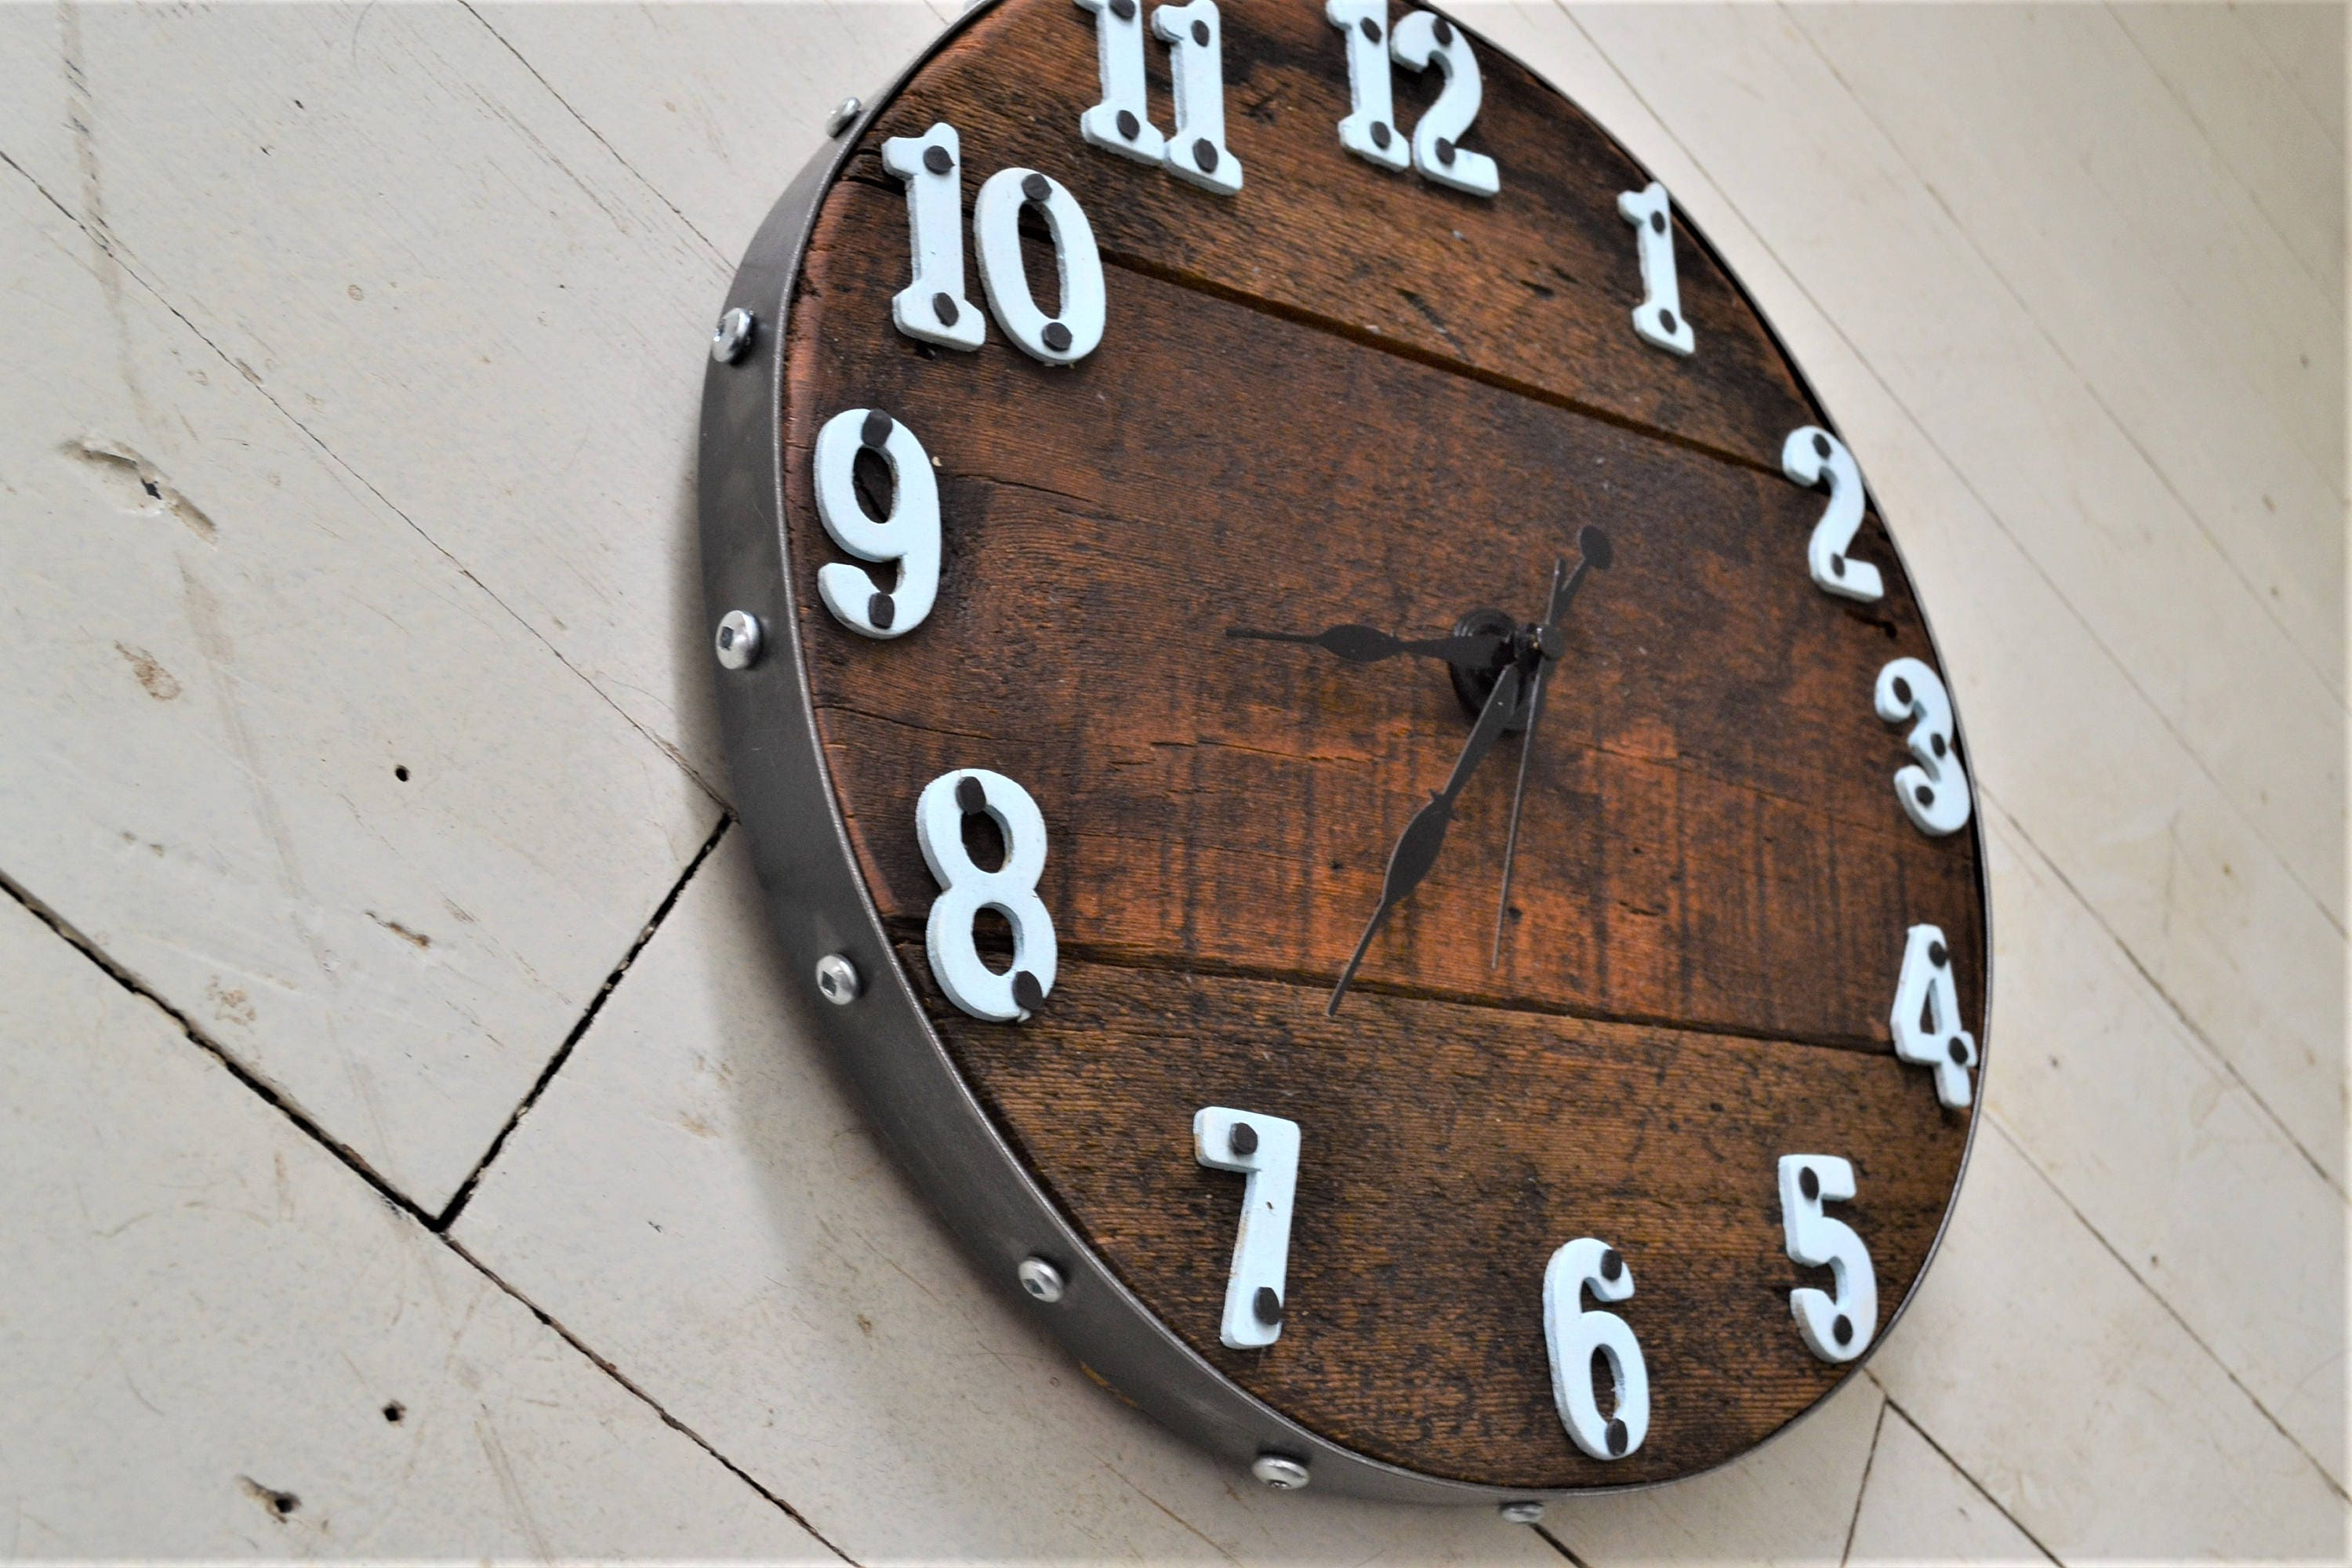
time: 8:35
